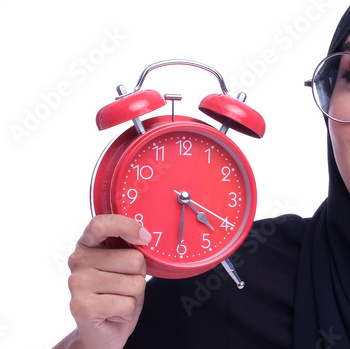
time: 4:19
